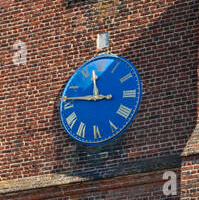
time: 11:46
